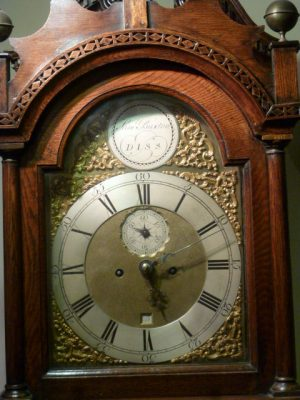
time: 5:14
